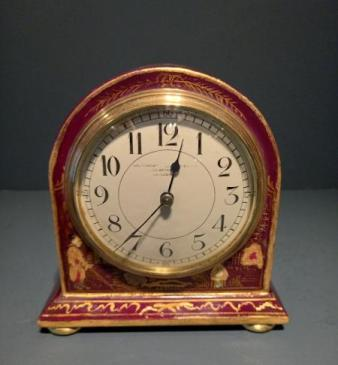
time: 12:36
